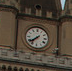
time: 7:37
